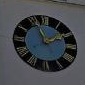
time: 1:56
